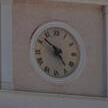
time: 4:51
